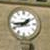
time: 1:43
